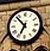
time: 6:52
